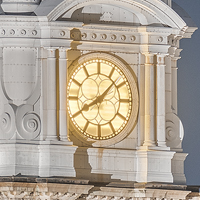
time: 8:07
